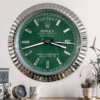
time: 3:42
